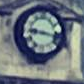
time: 9:17
